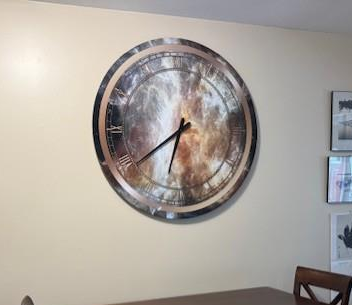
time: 6:39
